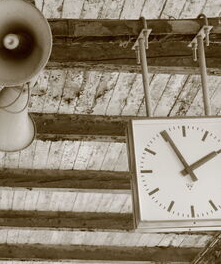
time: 1:55
